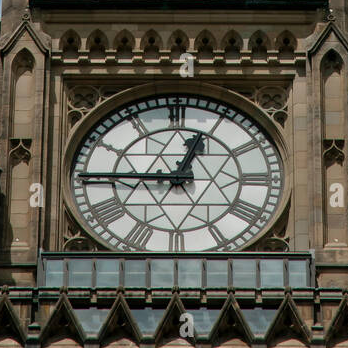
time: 12:45
